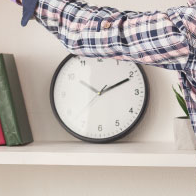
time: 2:11
